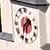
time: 1:32
